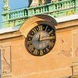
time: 12:13
